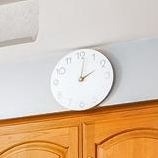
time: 2:01
